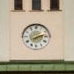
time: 2:13
